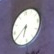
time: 6:39
